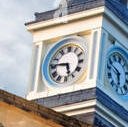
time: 5:46
